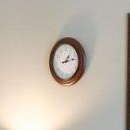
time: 1:13
